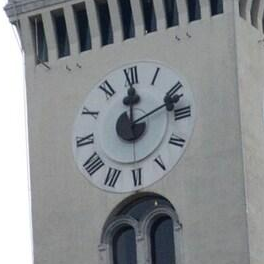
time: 12:11
